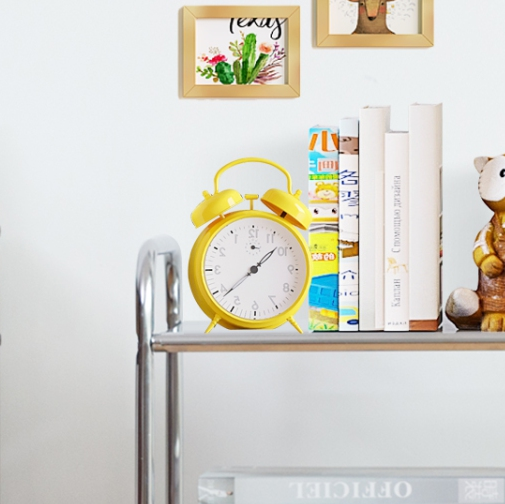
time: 1:38
